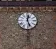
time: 12:26
